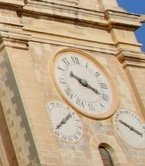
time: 10:19
